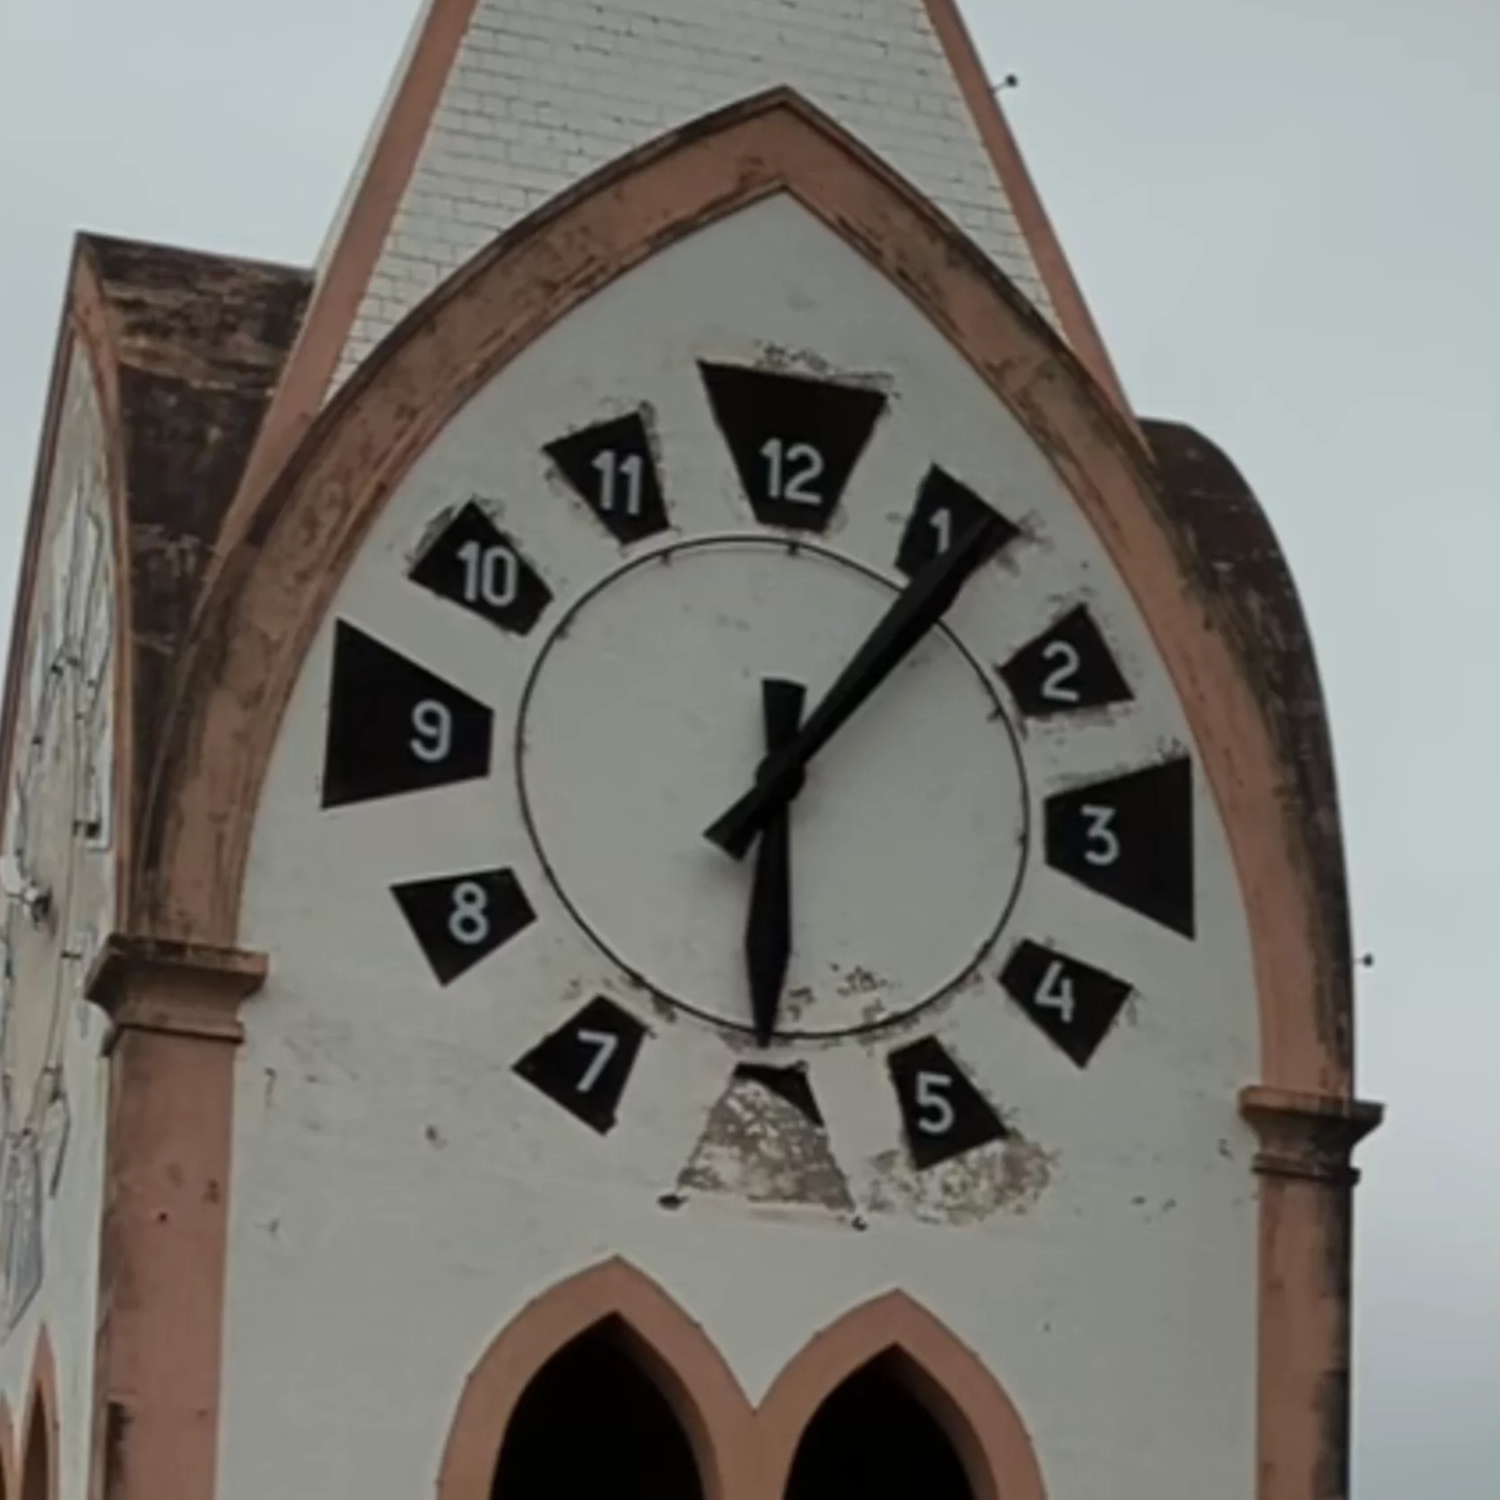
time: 6:06
